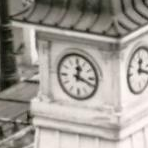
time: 12:18
